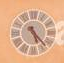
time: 5:22
